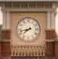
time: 7:42
